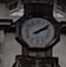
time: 2:09
